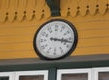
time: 3:17
